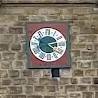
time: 2:21
